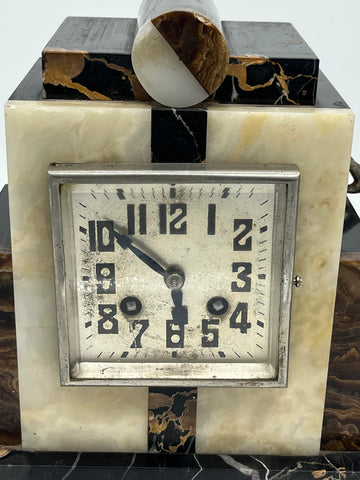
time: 5:51
